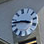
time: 3:47
